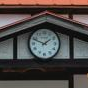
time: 1:48
